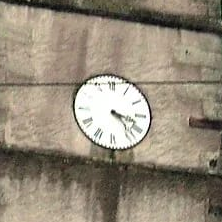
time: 3:22
